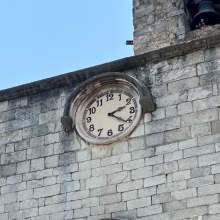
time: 2:21
